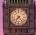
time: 7:23
